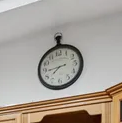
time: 7:44
